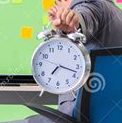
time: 7:17
